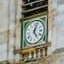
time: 5:03
